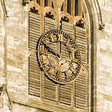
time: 9:50
